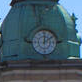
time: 12:09
